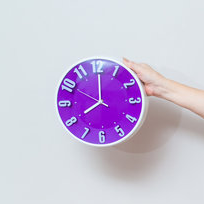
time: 8:00
